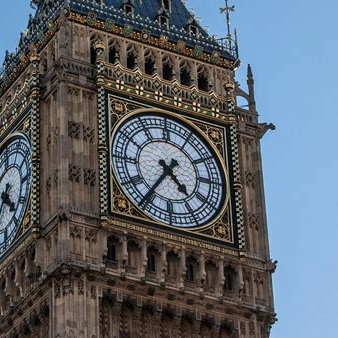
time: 4:36
